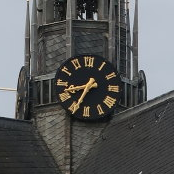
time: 8:34
